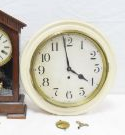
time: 3:58
